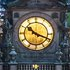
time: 10:18
